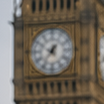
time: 12:36
